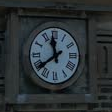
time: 11:39
